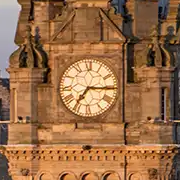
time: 7:15
